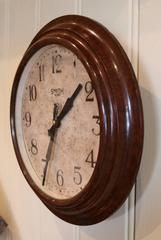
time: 1:34
